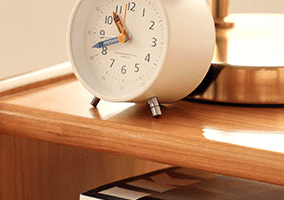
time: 10:41
